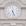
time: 5:26
